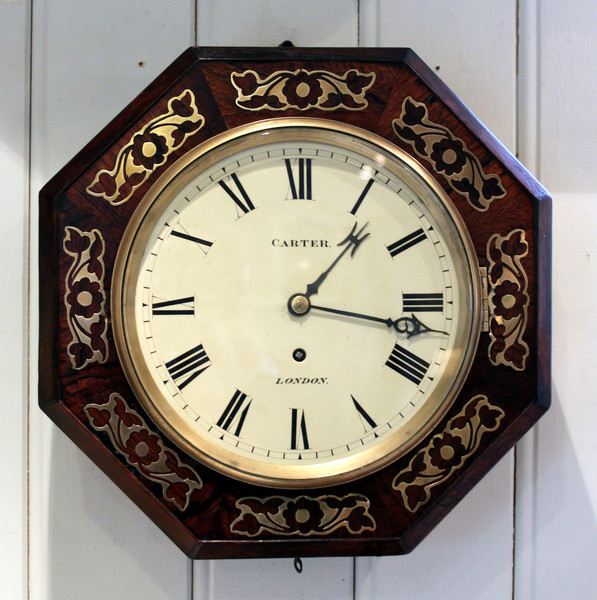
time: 1:16
